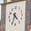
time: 4:34
